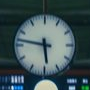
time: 5:46
